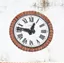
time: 12:46
